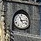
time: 11:13
